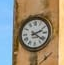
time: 2:21
